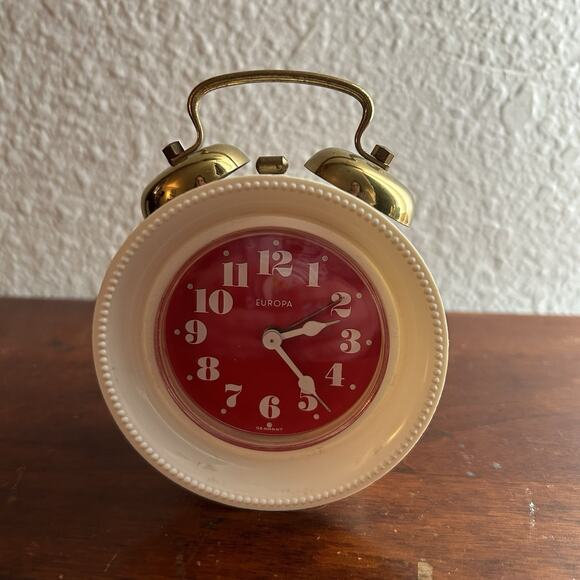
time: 2:23
